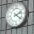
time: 2:21
